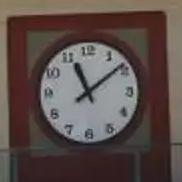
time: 11:08
